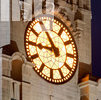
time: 10:45
